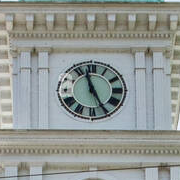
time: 11:25
